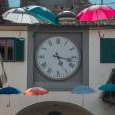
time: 5:17
